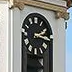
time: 2:15
